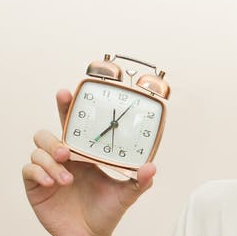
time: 7:04
